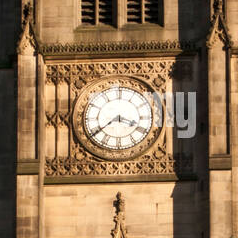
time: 3:39
